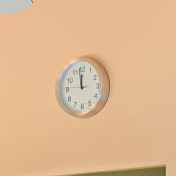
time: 11:58
